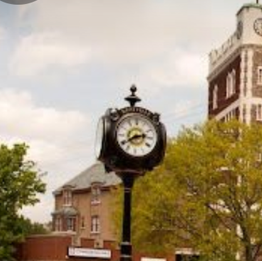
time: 2:40
